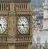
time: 4:44
